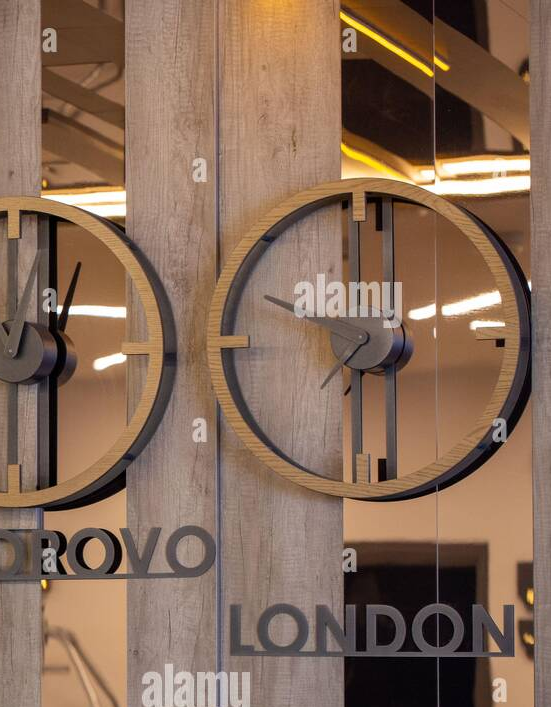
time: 2:29
